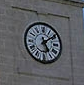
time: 5:08
